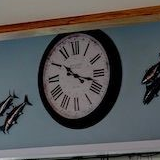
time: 10:17
